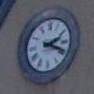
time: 2:18
